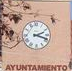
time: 2:18
